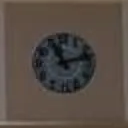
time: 11:12
